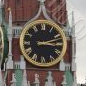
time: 3:12
